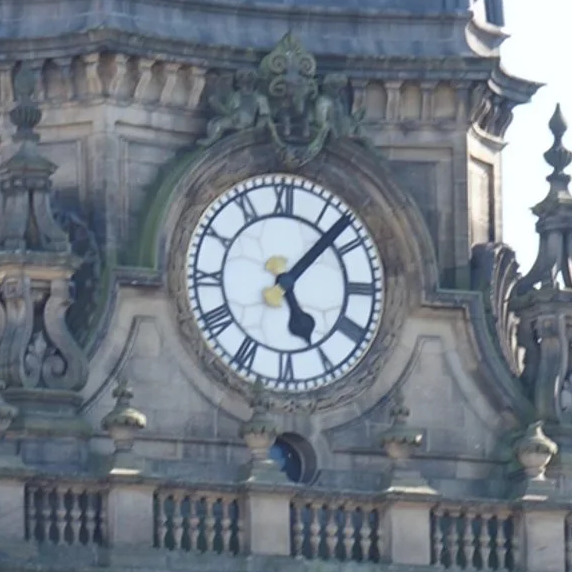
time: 5:07
